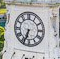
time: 6:34
